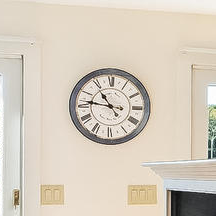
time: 10:46
